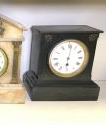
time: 6:01
